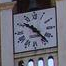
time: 10:23
